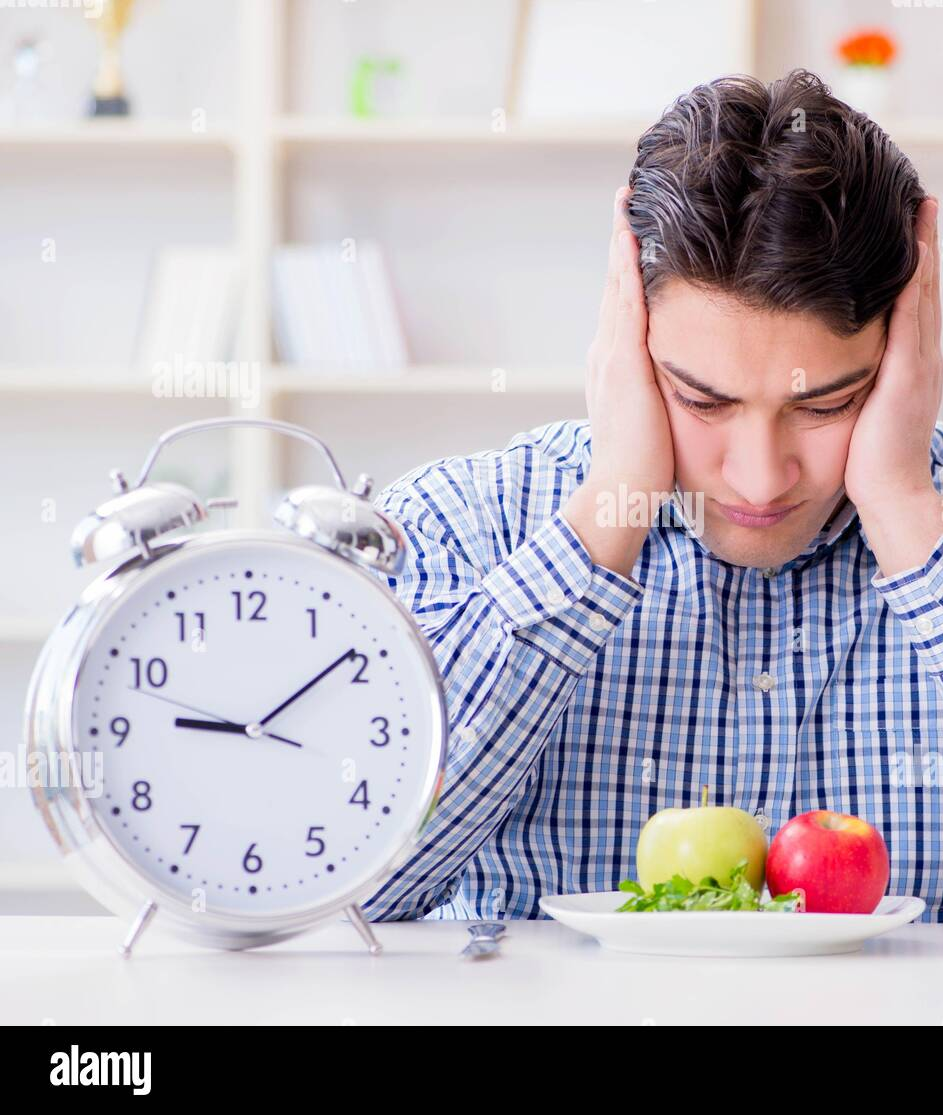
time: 9:09
